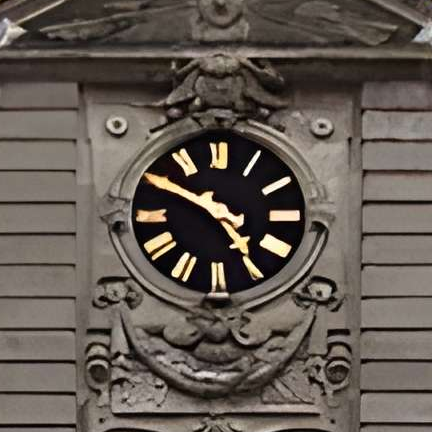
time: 4:50
